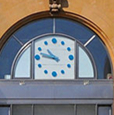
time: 10:47
